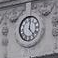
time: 12:23
